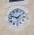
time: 1:47
